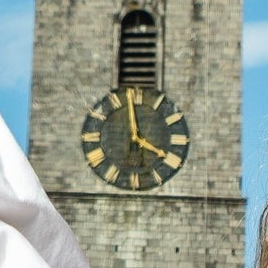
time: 3:58
